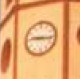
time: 9:16
